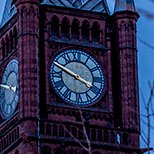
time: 3:48
